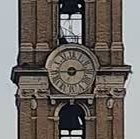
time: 2:44
